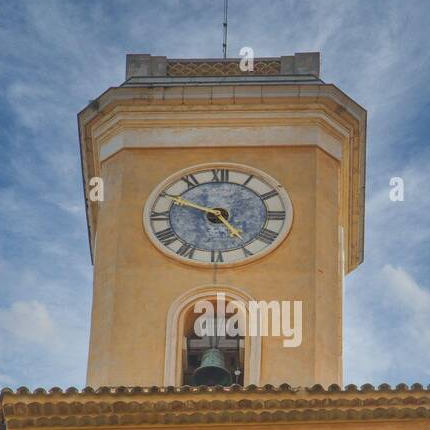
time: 4:49
